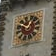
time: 12:49
